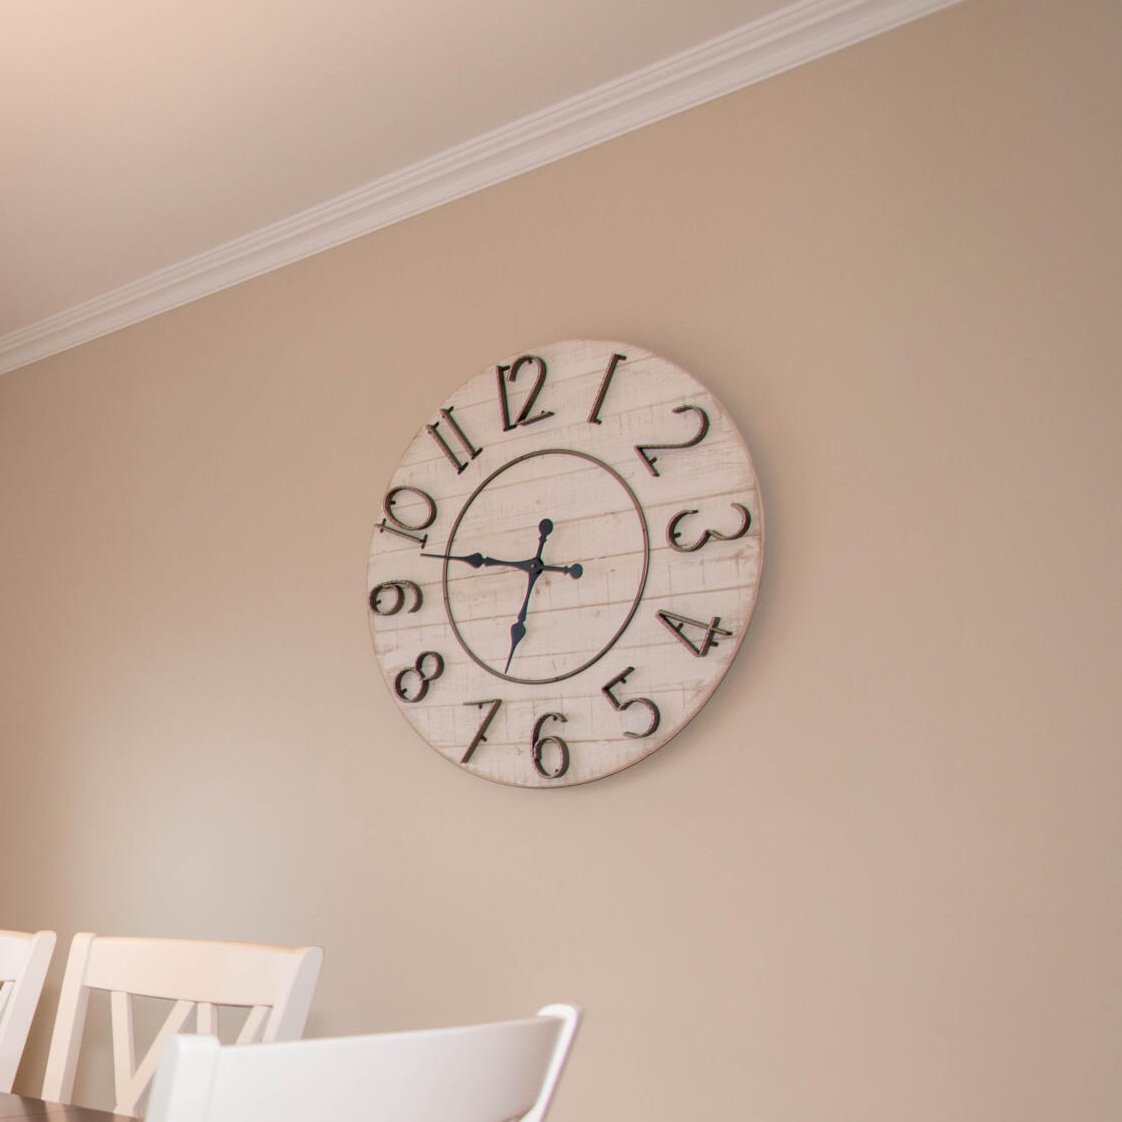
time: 6:47
